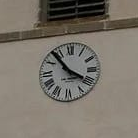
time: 3:53
